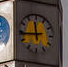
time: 11:44
